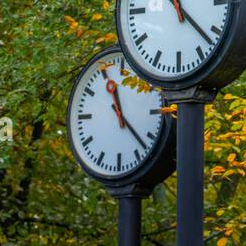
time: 11:22
